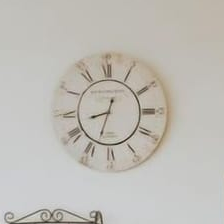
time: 8:33
